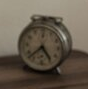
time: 4:37
